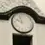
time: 9:57
